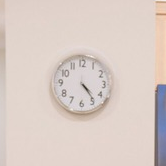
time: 4:23
